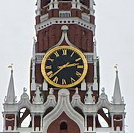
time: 2:37
